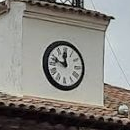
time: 11:47
